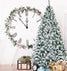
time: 11:52
